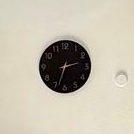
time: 2:33
